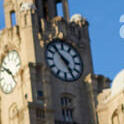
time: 4:52
